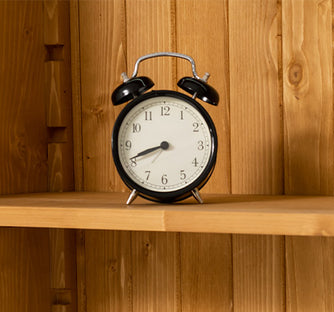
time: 8:41
